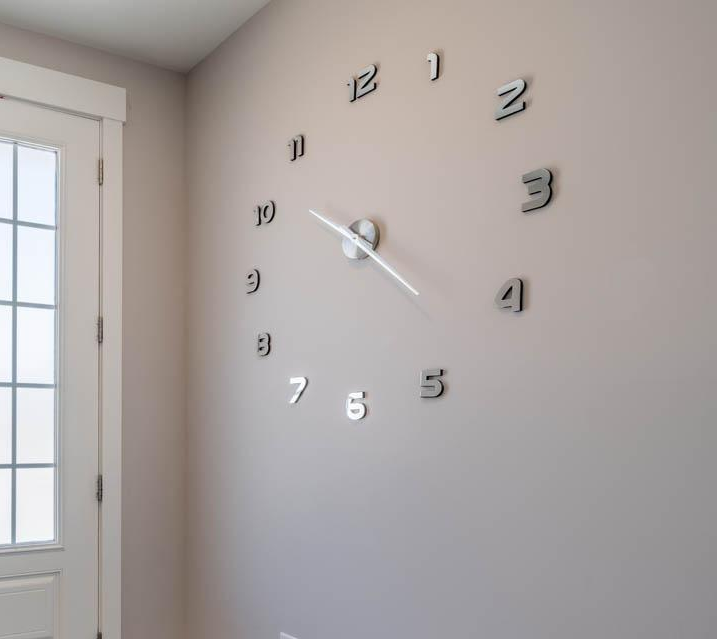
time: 4:22
